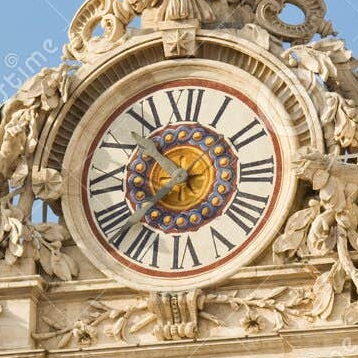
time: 10:36
